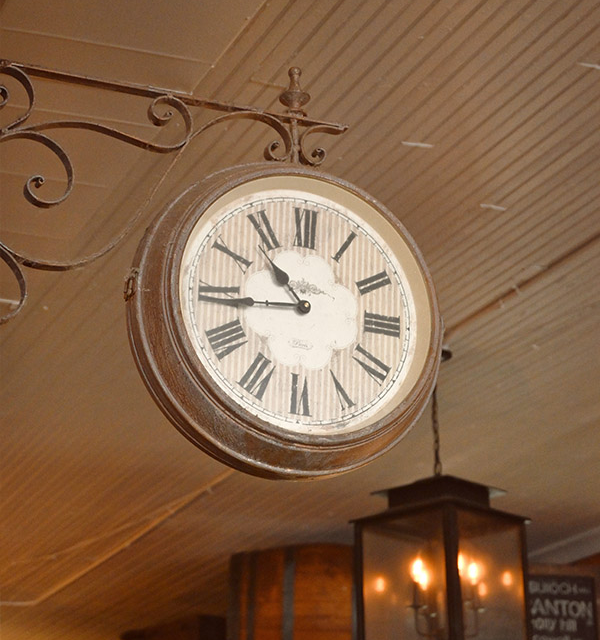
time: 10:43
